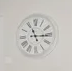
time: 11:14
